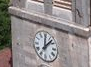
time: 12:07
